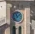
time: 11:07
